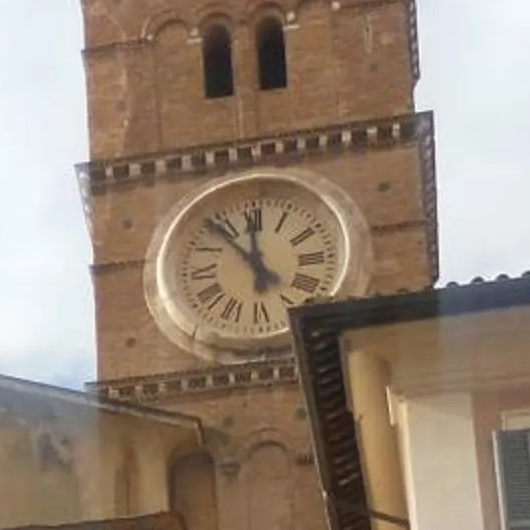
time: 11:53
